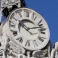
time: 10:12
